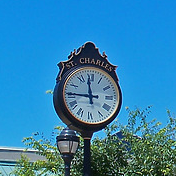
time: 11:45
